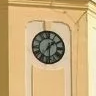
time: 1:29
